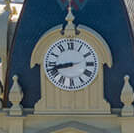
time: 8:42
